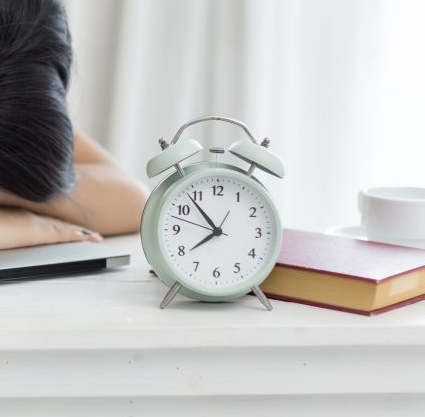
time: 7:53
